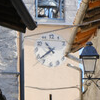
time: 10:38
